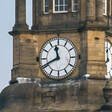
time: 11:40
